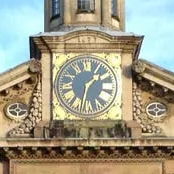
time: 1:32
